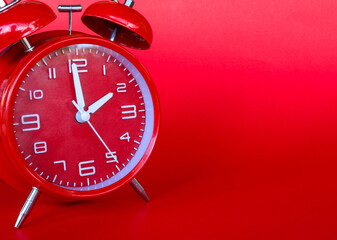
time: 1:59
